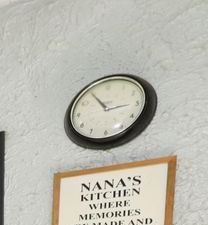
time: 2:54
